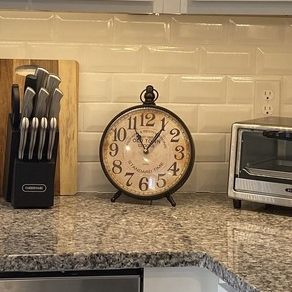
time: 11:06
